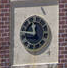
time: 11:46
